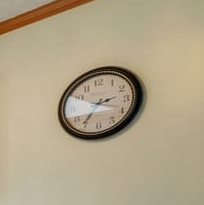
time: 2:36
